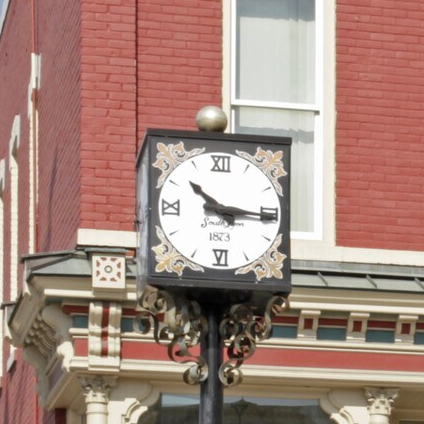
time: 10:15
